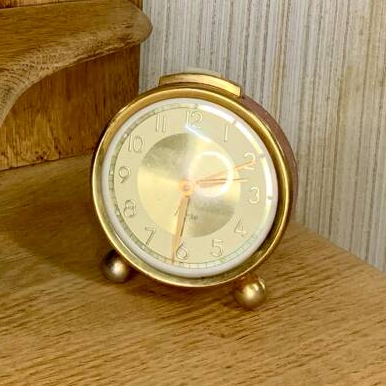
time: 2:31
